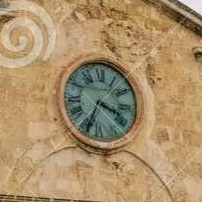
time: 3:34
